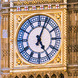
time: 5:03
